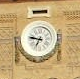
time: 6:47
